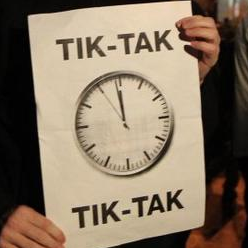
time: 11:58
